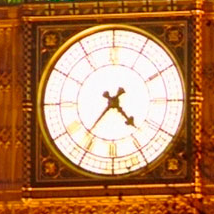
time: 4:36
